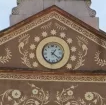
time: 1:21
